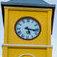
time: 5:16
